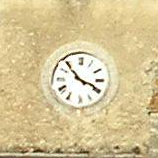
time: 3:53
